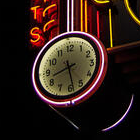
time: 8:28
